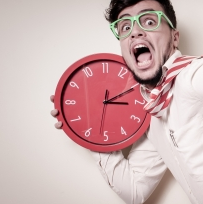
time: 3:10
